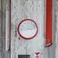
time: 2:45
